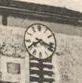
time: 8:17
